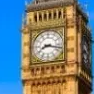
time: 8:17
